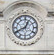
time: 12:40
